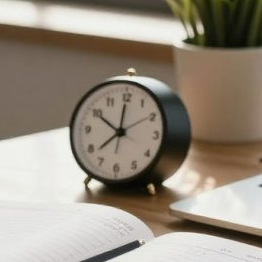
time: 10:00
